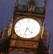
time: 4:31
